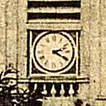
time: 2:19
